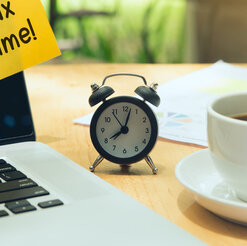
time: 8:02
